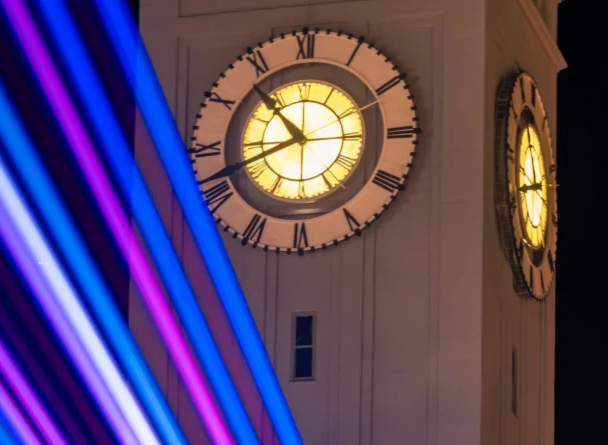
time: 10:41
